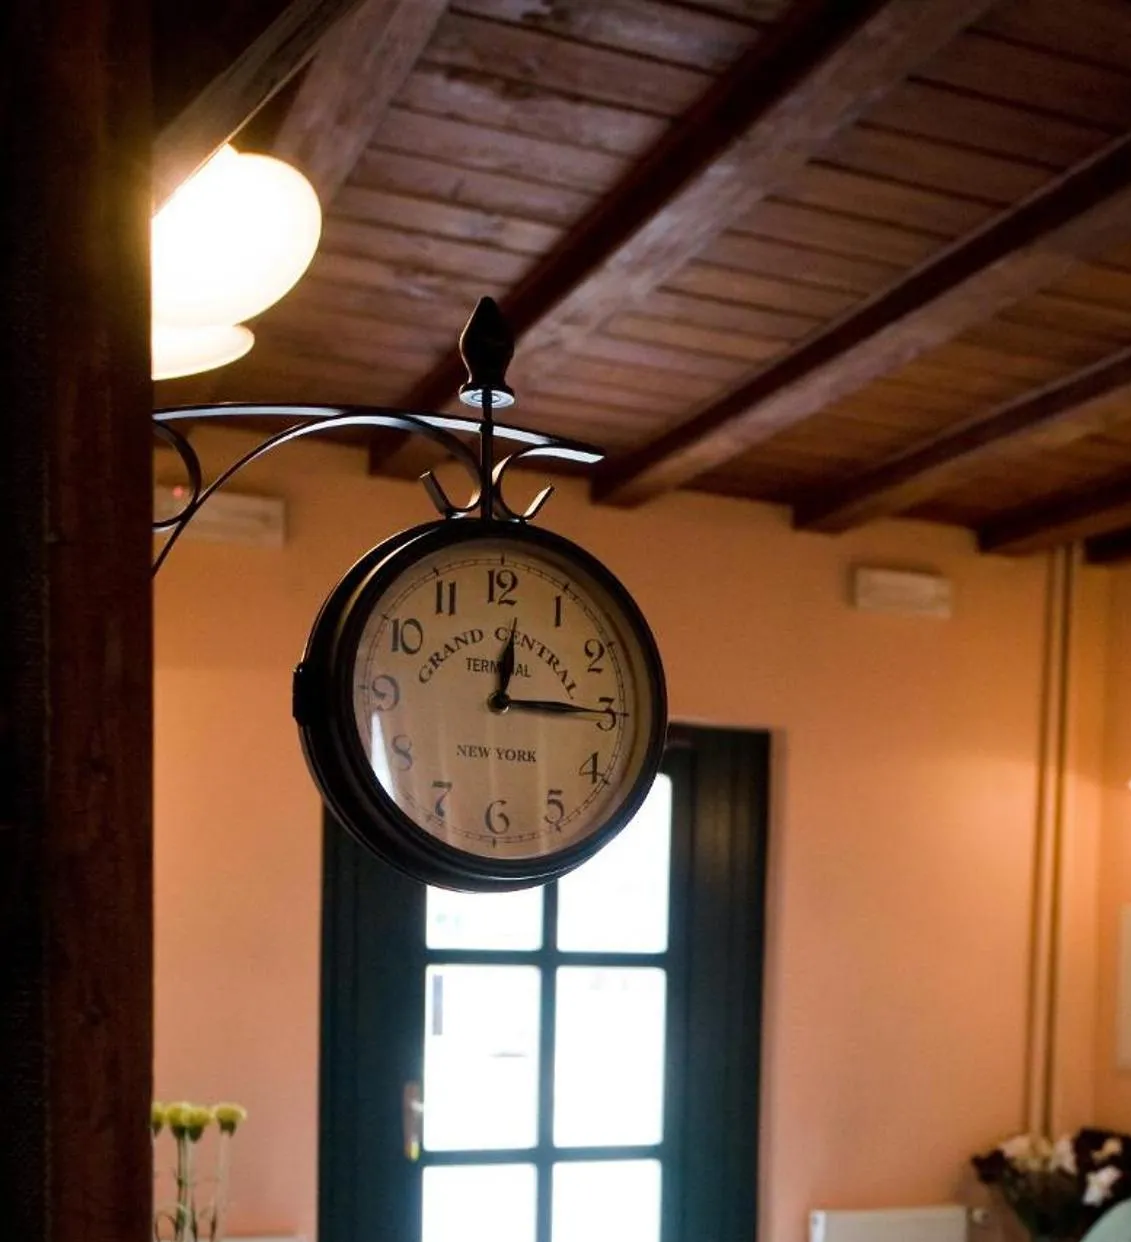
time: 12:14
